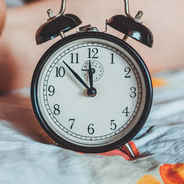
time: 11:52
